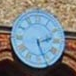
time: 2:26
